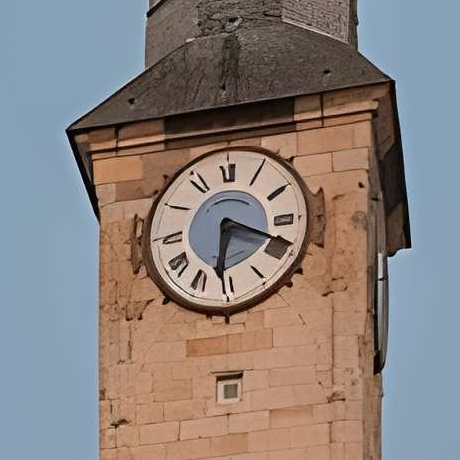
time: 6:18
